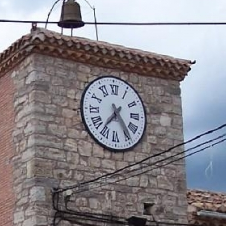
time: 7:24
